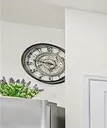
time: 3:47
